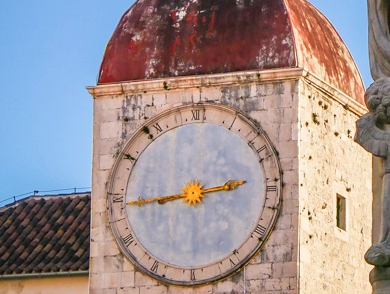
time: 2:44
